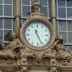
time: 11:25
